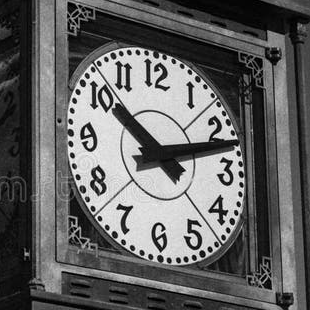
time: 10:12
